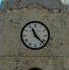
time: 11:22
